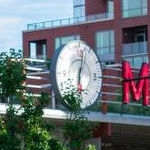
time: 6:02
